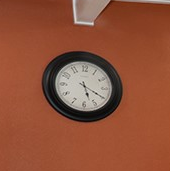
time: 5:19
